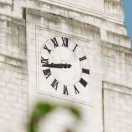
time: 8:43
